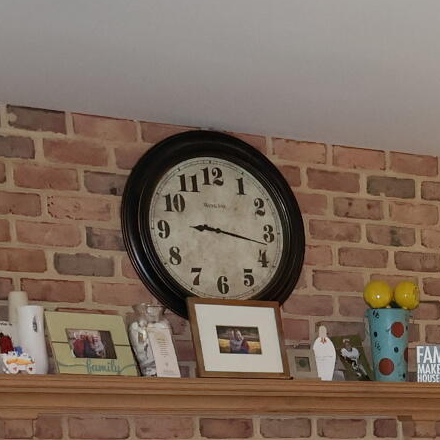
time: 9:17
